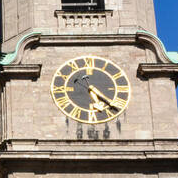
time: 5:21
